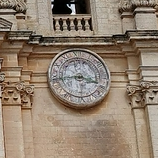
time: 3:43
